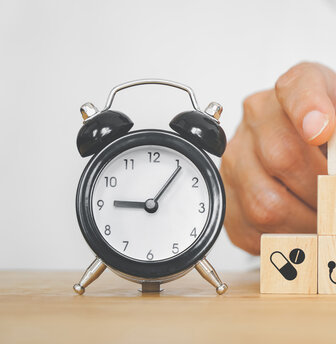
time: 9:06
